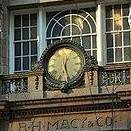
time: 12:27
